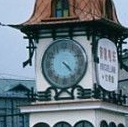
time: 4:22
